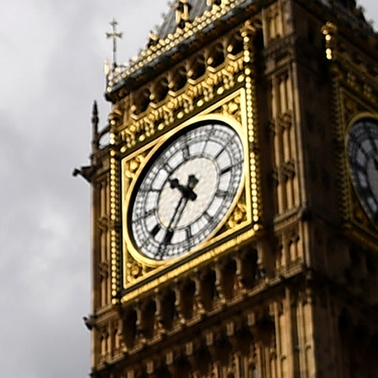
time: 10:36
